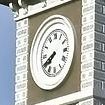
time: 7:40
